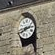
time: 2:40
